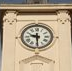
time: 9:29
